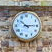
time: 10:14
